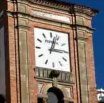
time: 3:02
